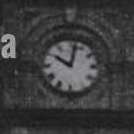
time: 10:02
